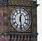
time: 12:28
